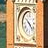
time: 4:22
